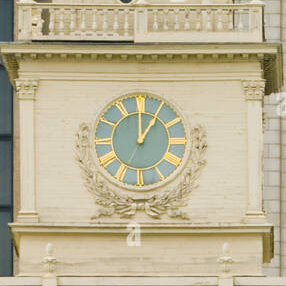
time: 12:59
